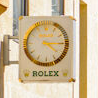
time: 4:14
